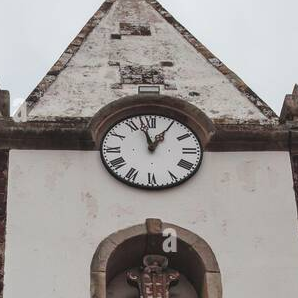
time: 12:57
